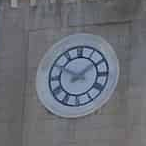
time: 1:49
